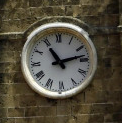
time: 11:13
